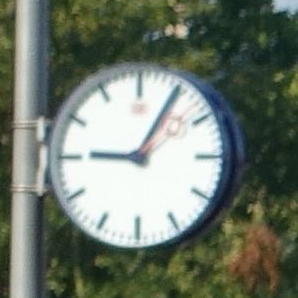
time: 9:05
